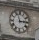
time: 2:56
